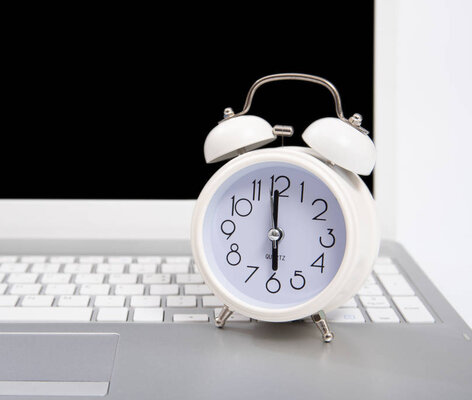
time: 5:59
